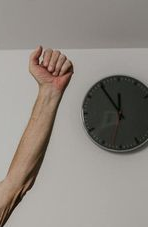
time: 11:54
